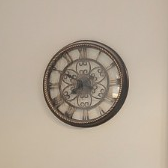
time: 7:49
